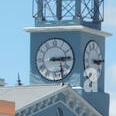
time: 3:14
